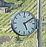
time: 5:09
